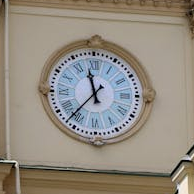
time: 11:36
